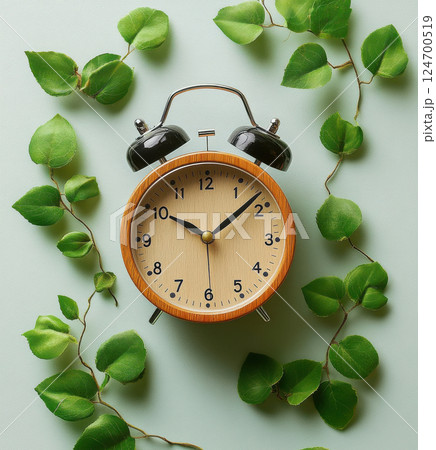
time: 10:08
